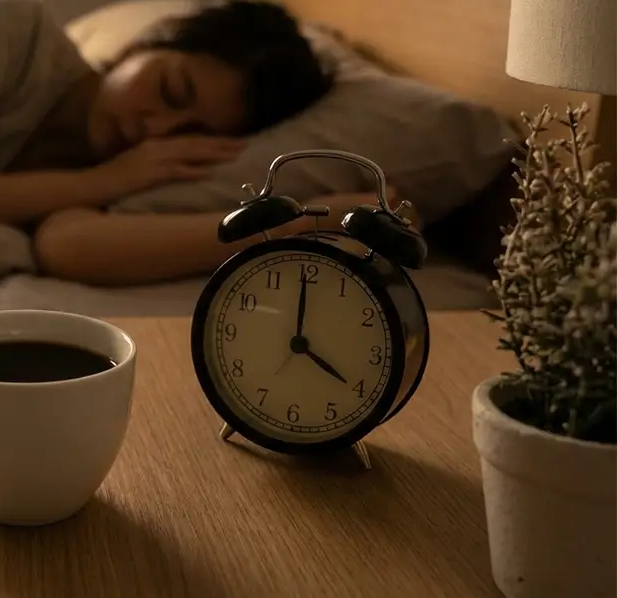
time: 4:00
